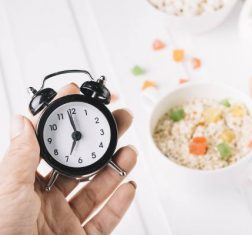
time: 6:58
